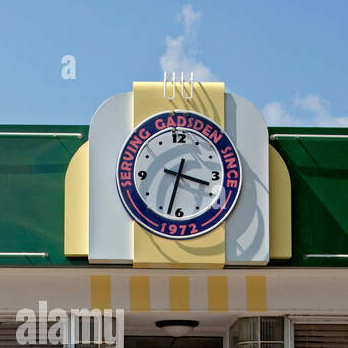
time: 3:32
